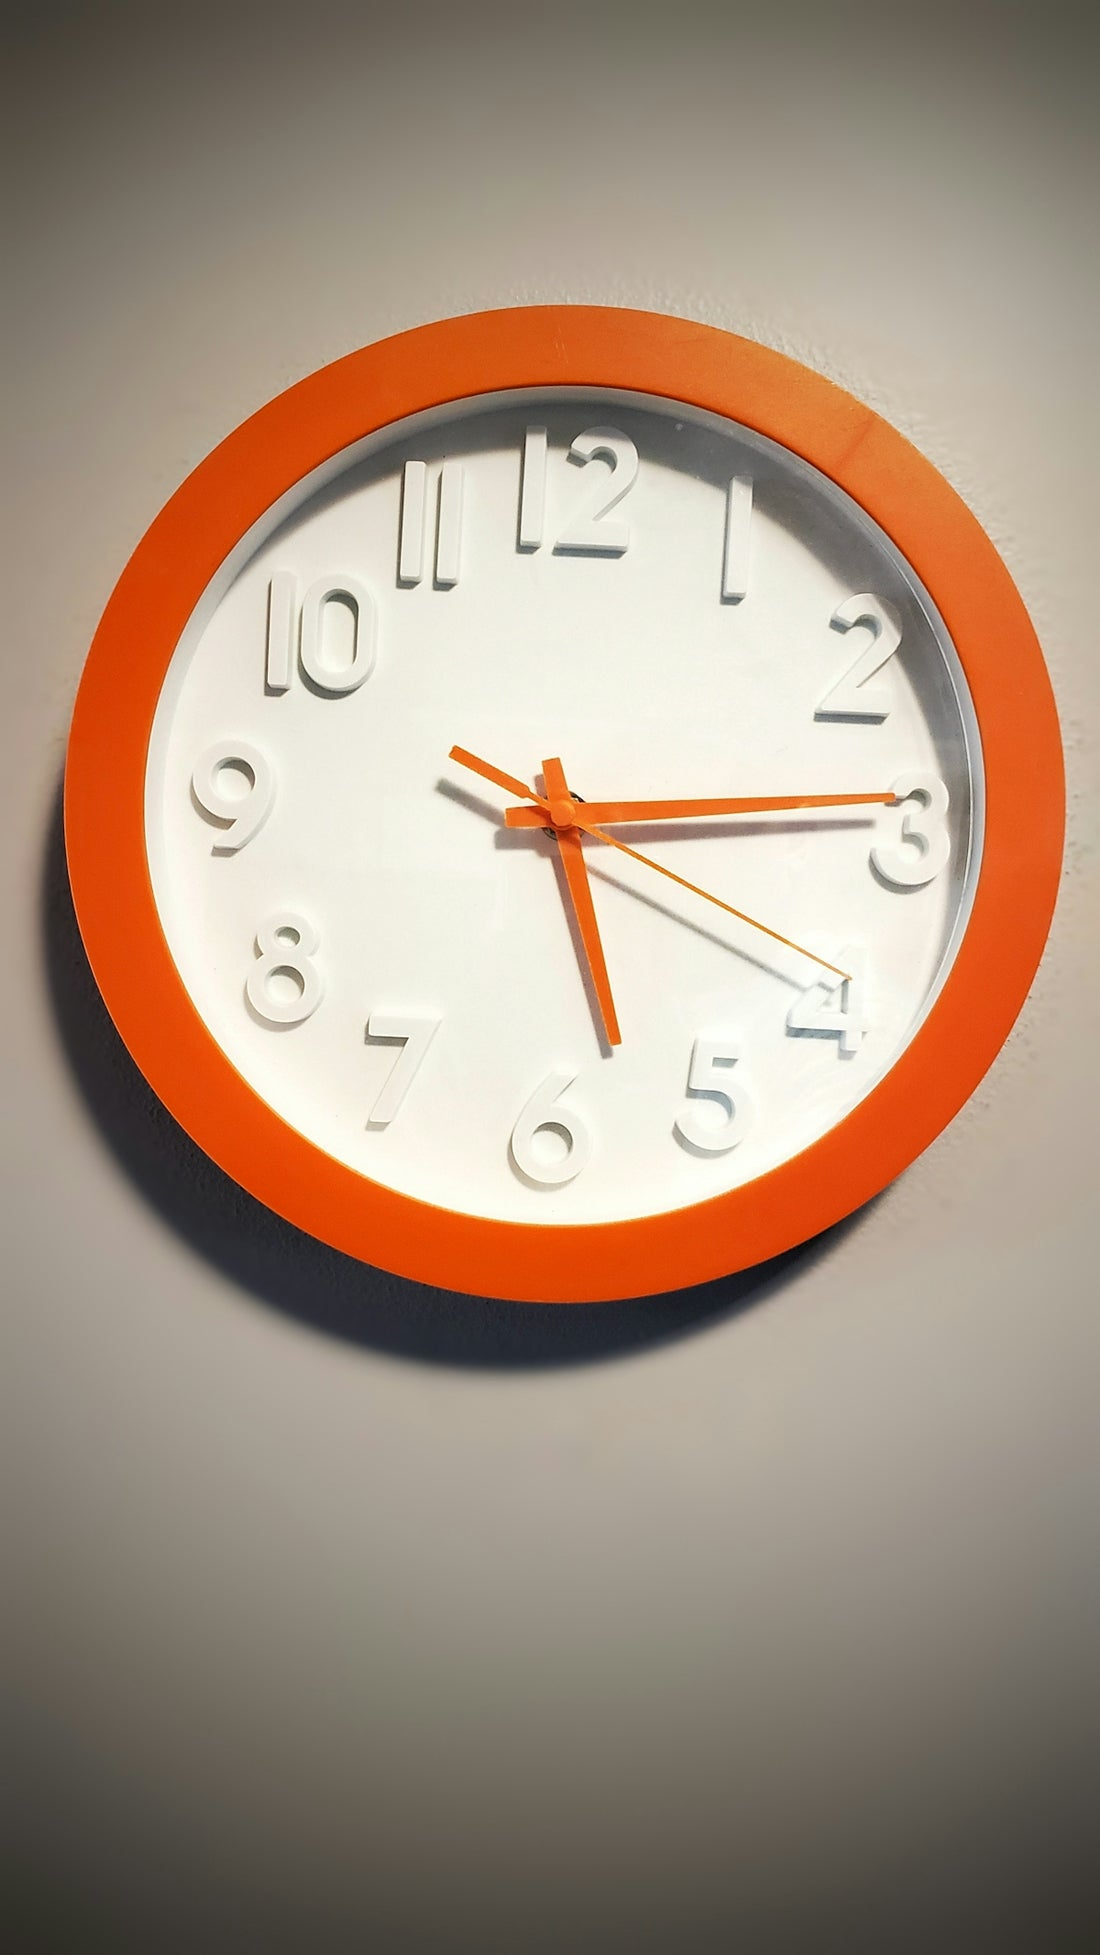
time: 5:14
